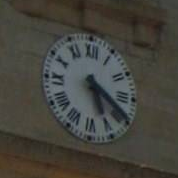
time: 5:19
